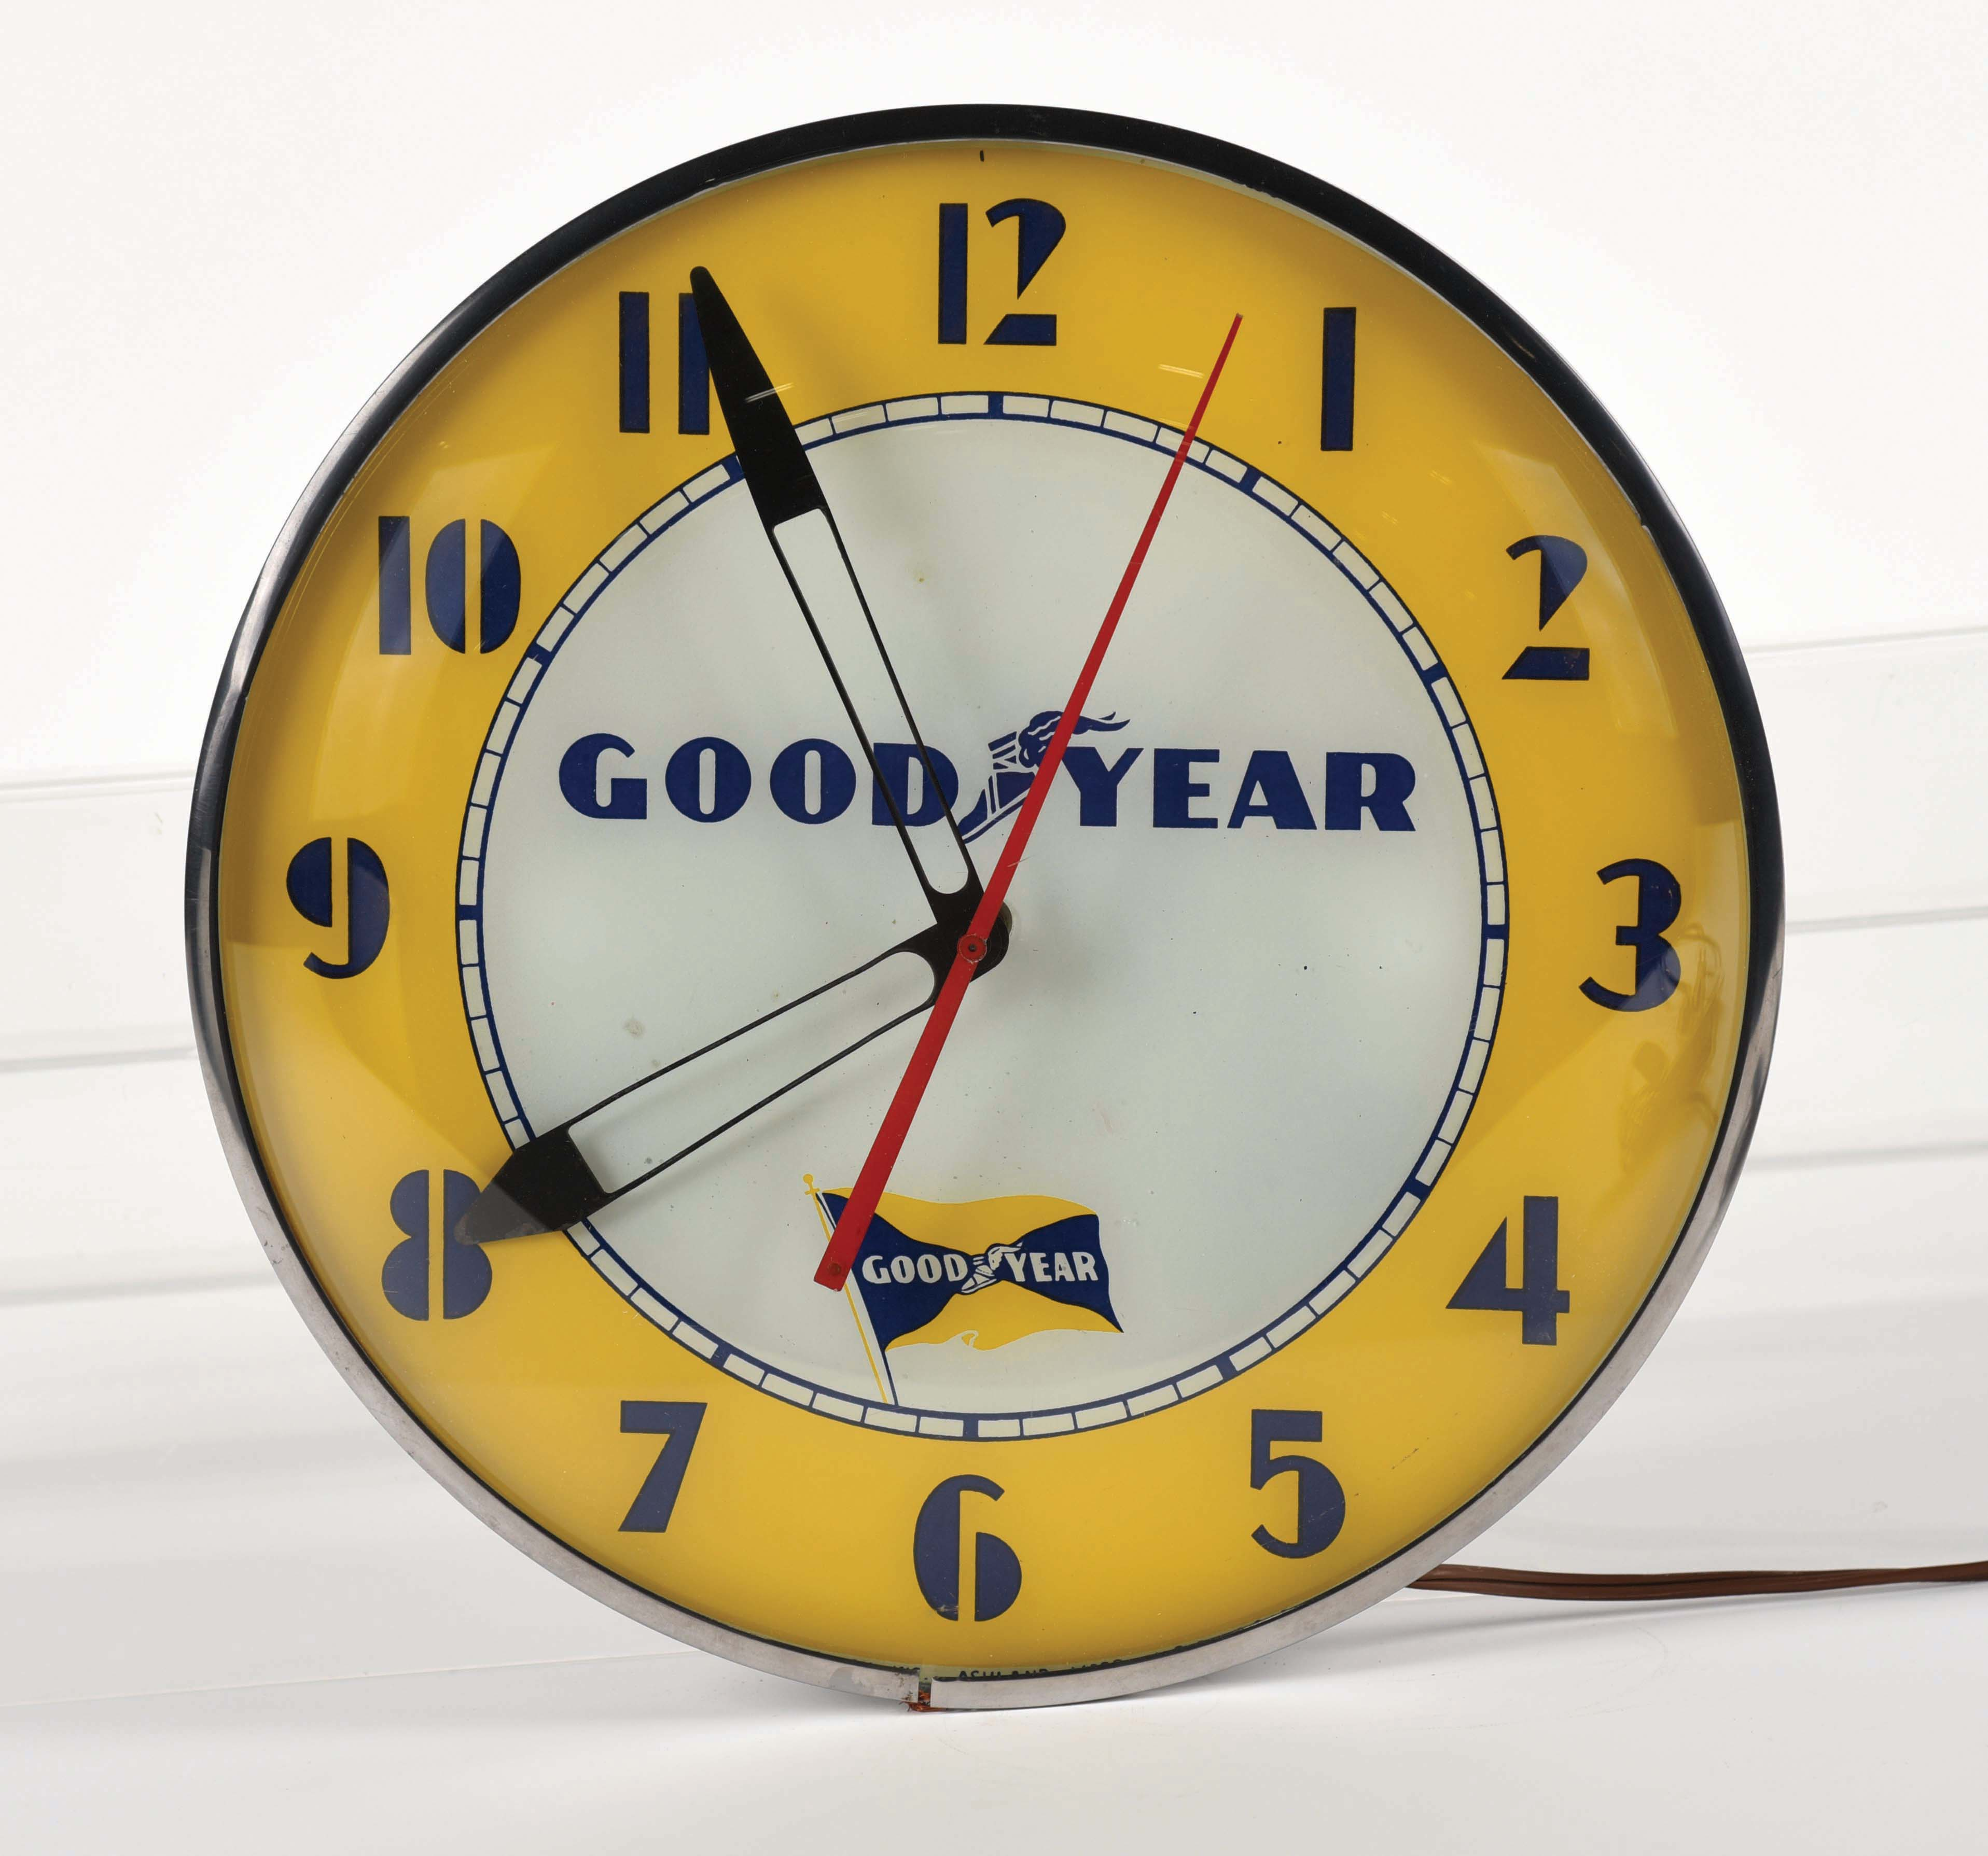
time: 7:55
